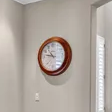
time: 10:47
